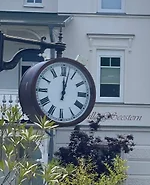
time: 12:02
